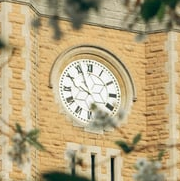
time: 9:56
